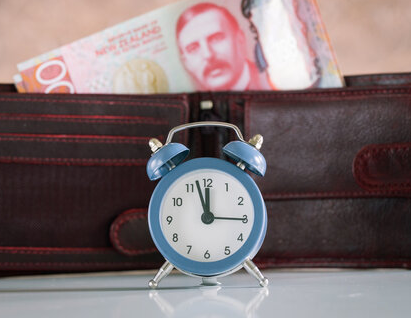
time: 11:57
